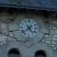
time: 4:37
